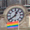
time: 12:38
